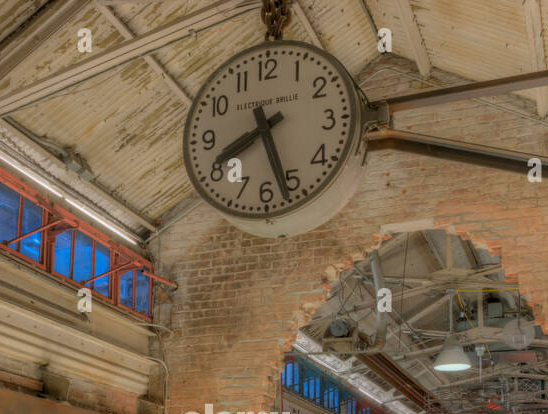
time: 8:26
